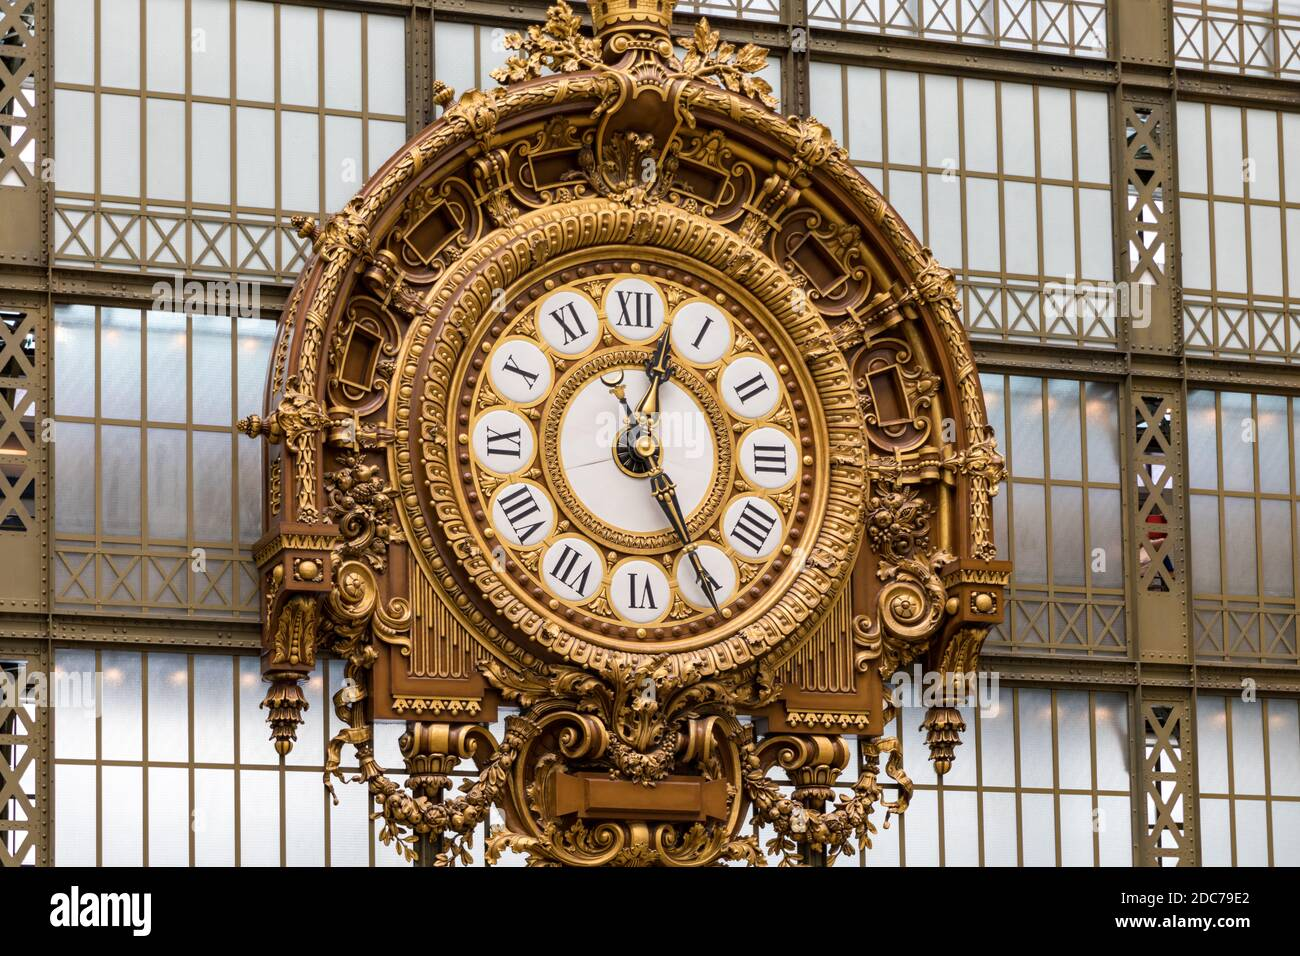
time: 12:24
